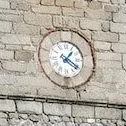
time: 1:20
